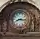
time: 8:16
